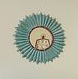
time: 3:34
